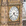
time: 4:38
